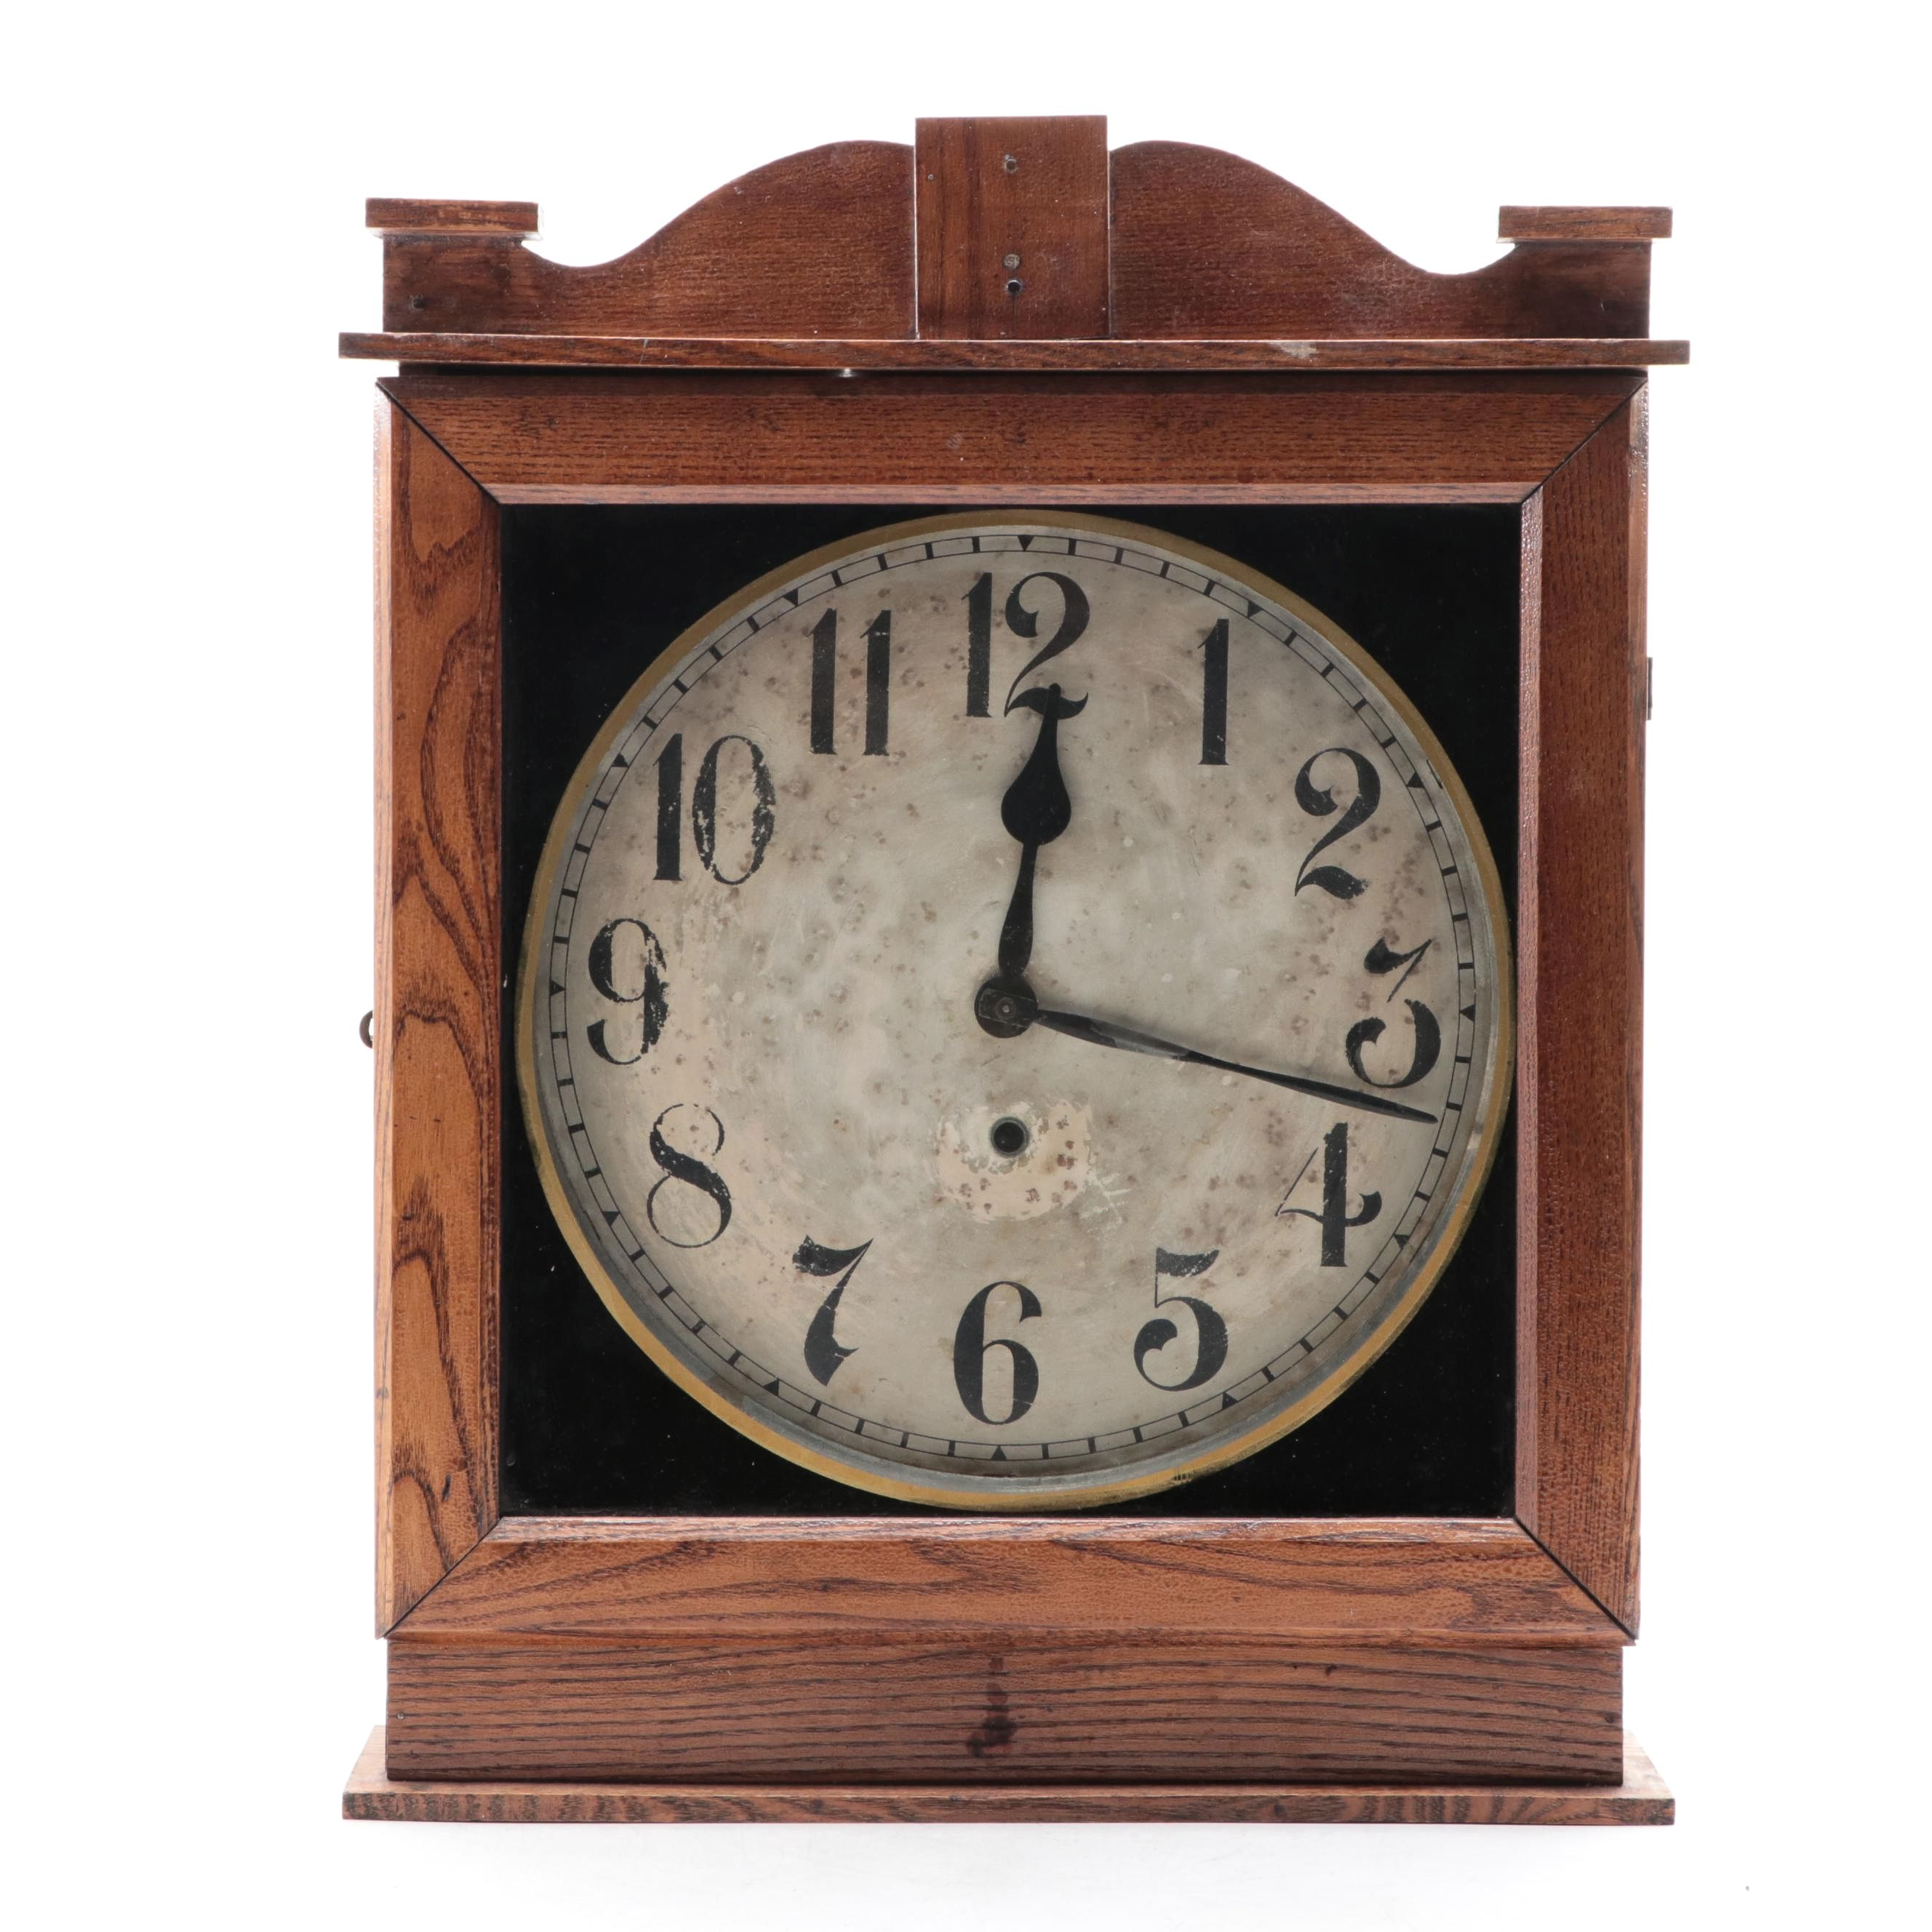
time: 12:17
